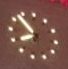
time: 7:52
